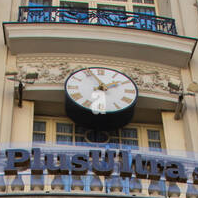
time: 1:56
